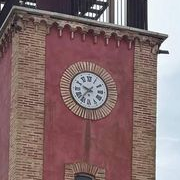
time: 9:36
